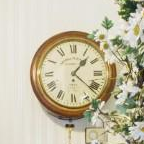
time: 1:21
